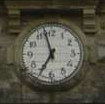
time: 6:57
